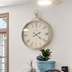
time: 2:21
